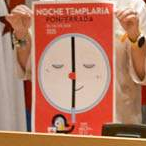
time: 5:59
